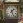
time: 1:26
